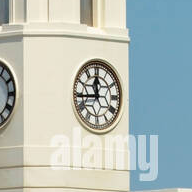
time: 11:44
